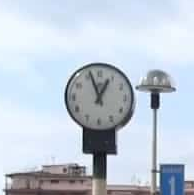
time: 12:57
